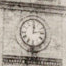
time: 12:13
